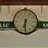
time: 6:30
